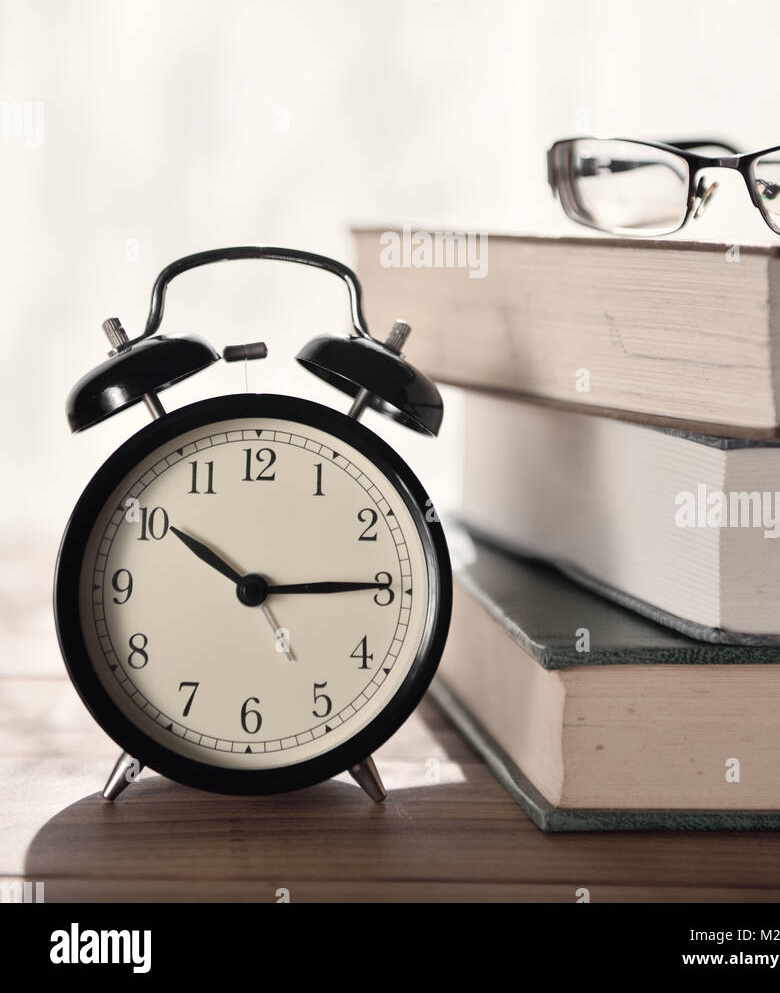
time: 10:14
